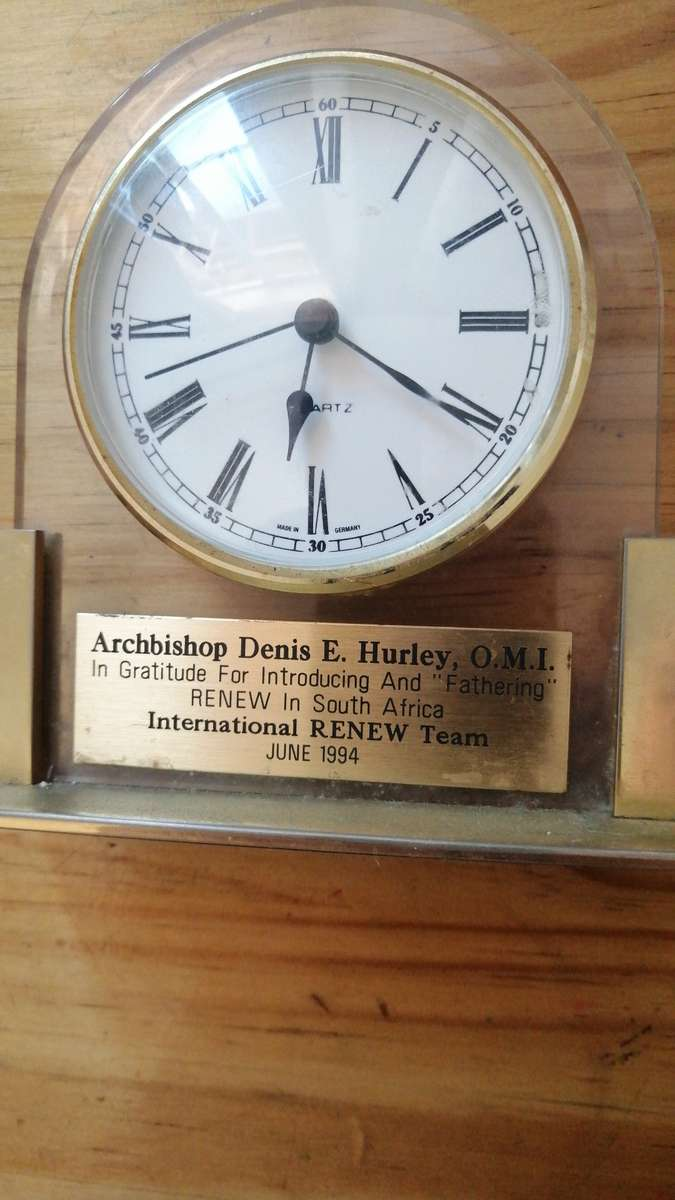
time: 6:20
